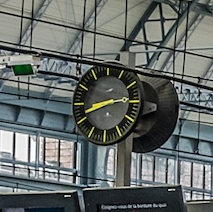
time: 8:14
